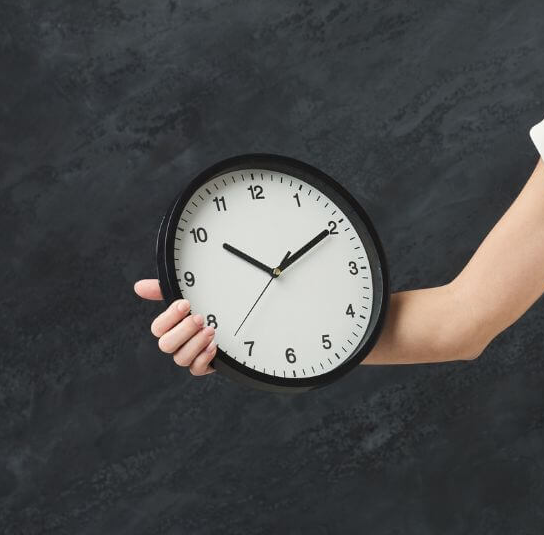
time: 10:09
